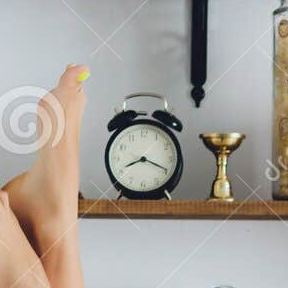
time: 8:19
